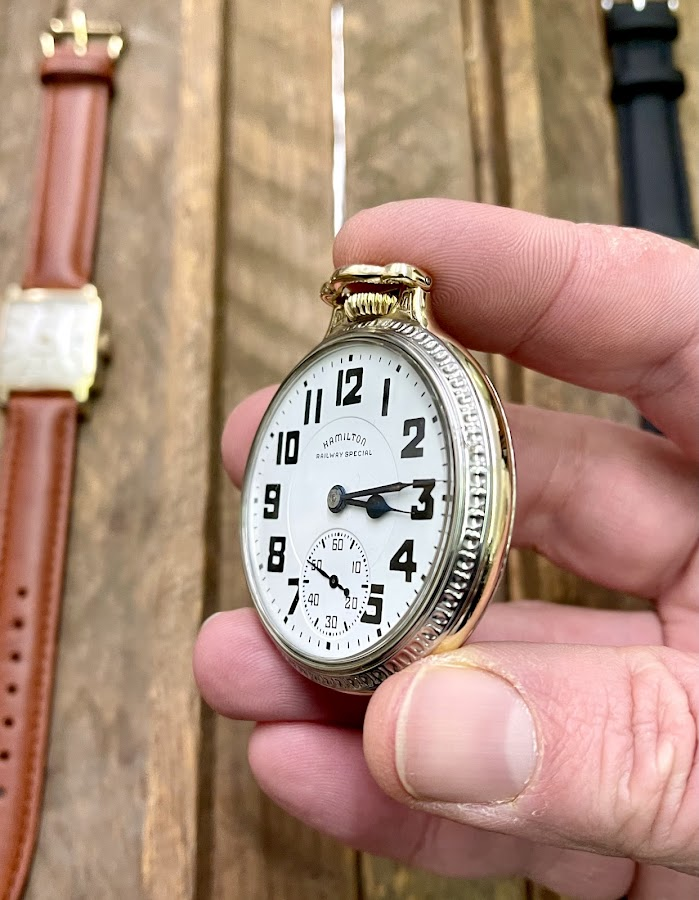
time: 3:13
